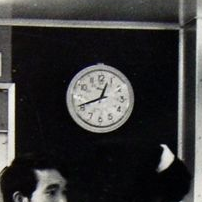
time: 12:41
